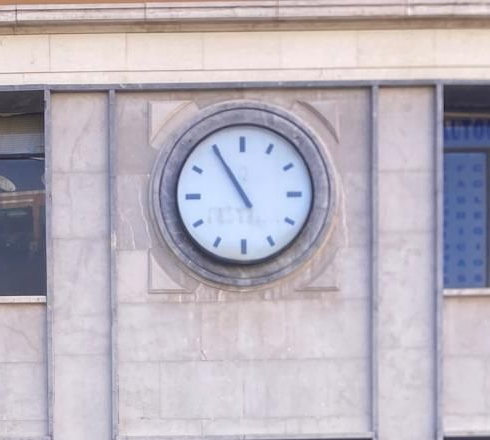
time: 10:54
